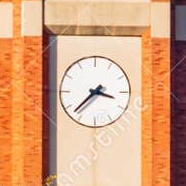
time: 3:37
